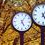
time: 5:05
